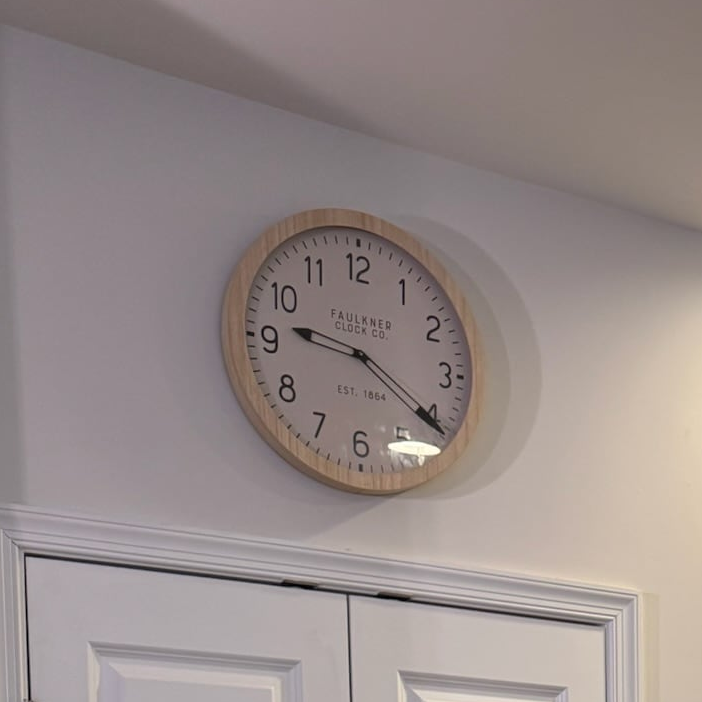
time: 9:20
